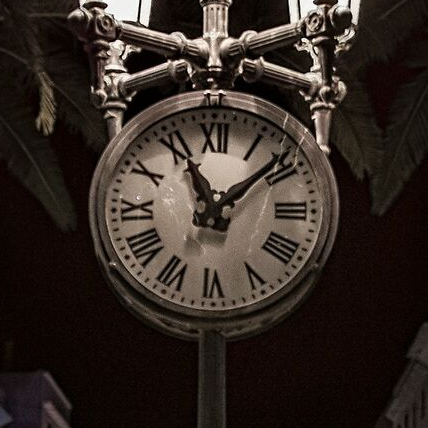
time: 11:08
